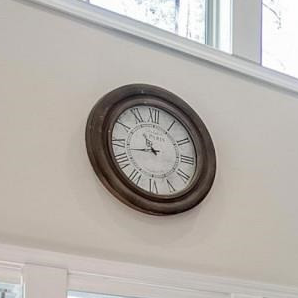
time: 10:42
